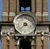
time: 3:37
